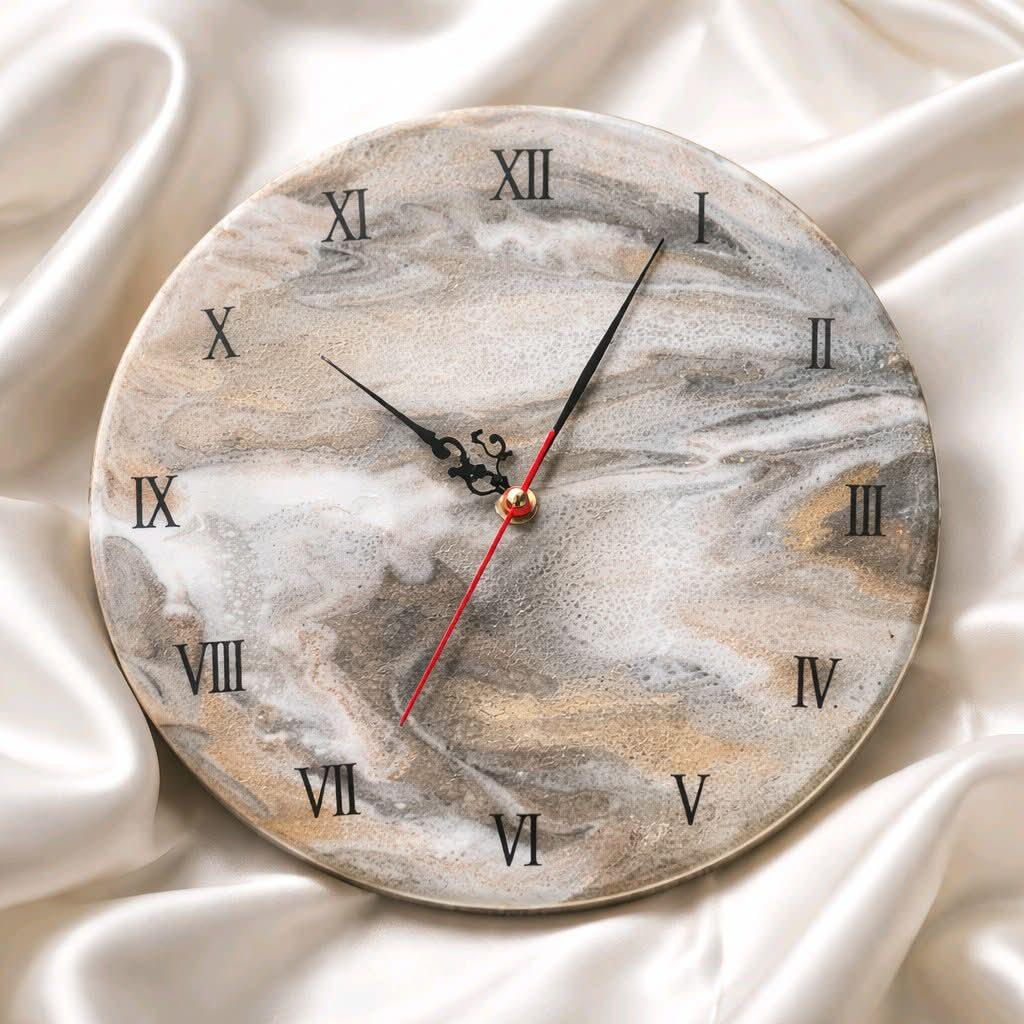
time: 10:04
